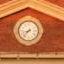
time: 8:37
